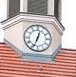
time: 12:33
